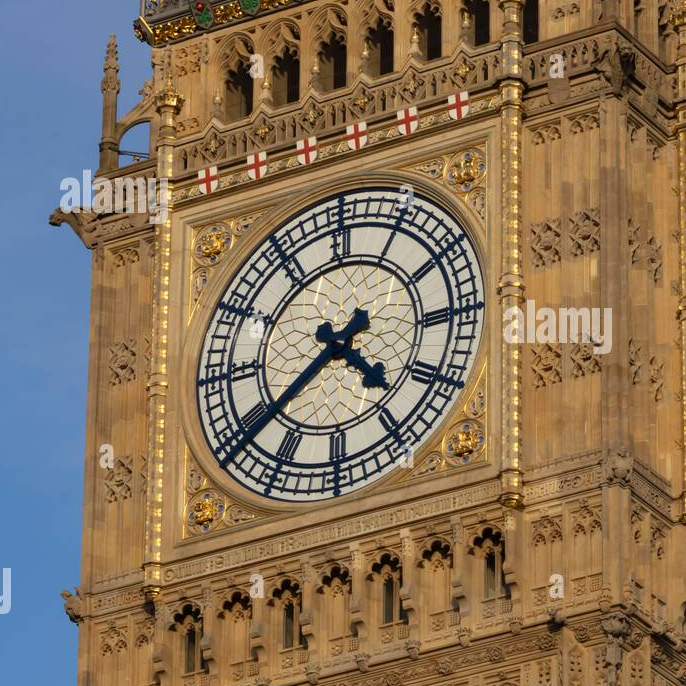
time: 4:38
